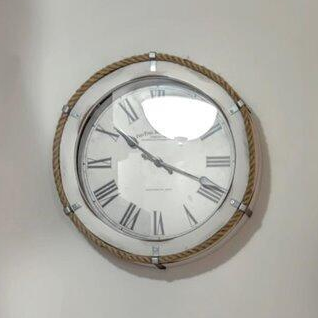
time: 10:18
